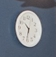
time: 10:31
